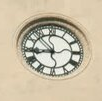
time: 8:53
